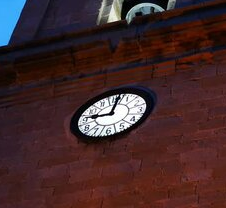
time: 9:01
